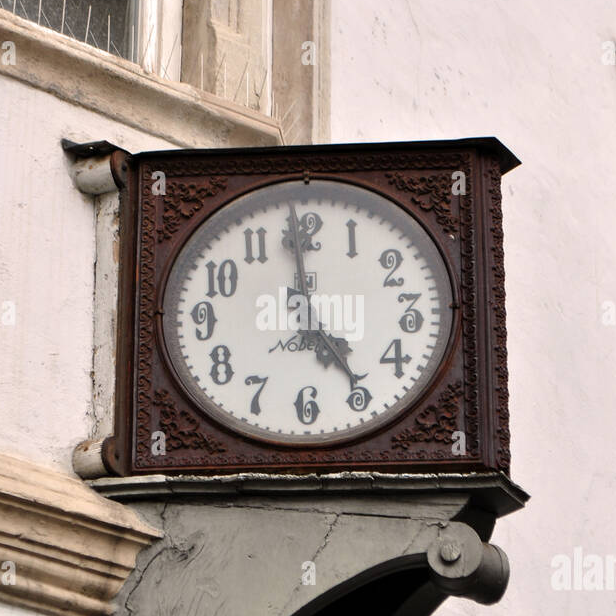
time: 4:59
